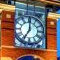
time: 7:00
